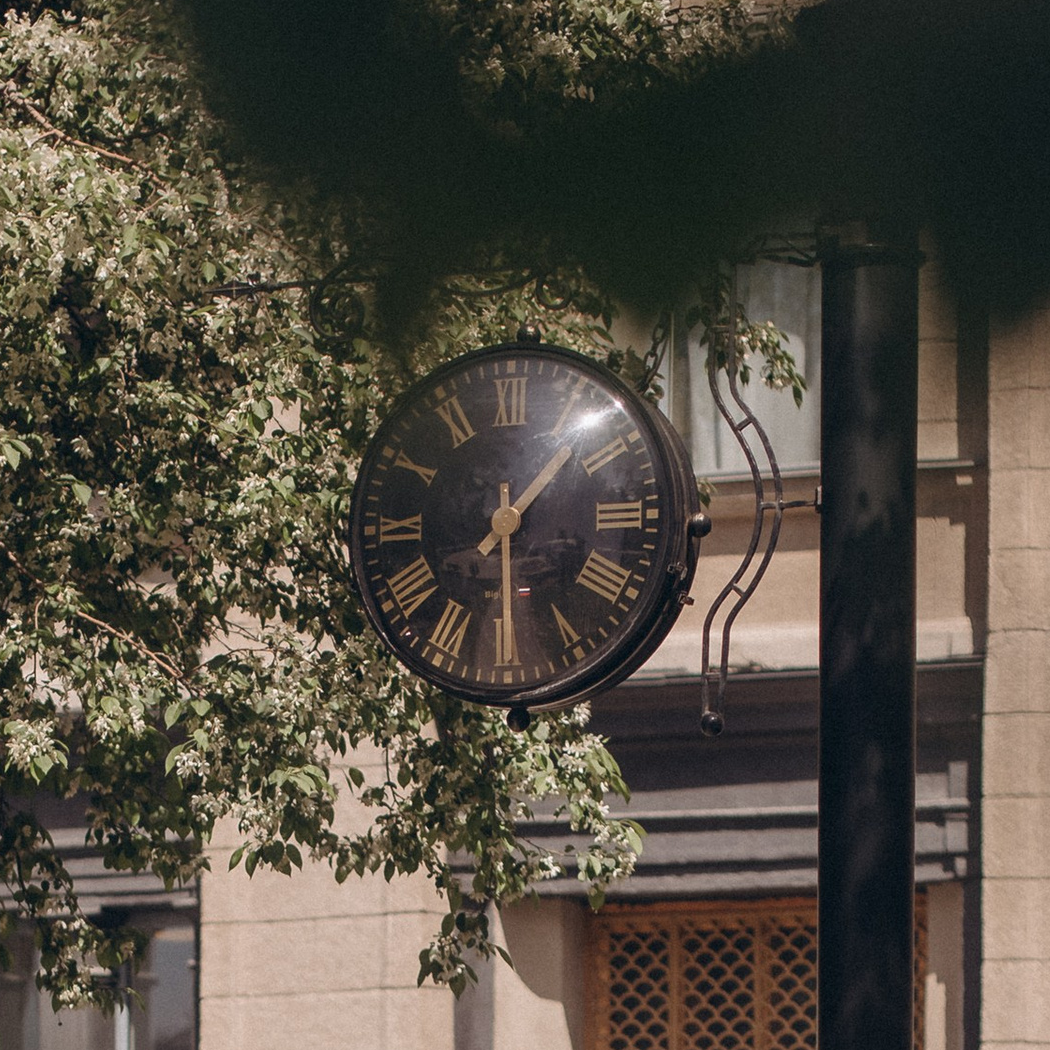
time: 1:29
